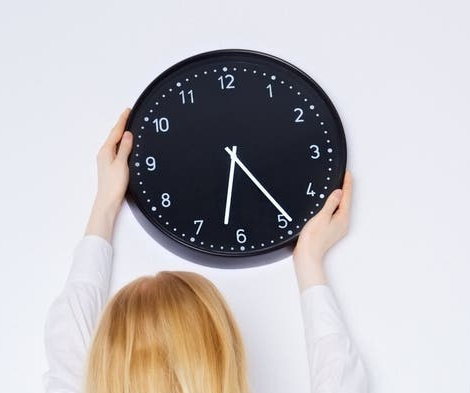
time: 6:24
